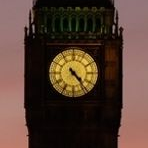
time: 4:23
